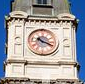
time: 10:18
